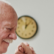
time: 12:06
